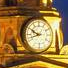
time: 9:42
